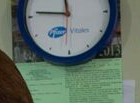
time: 11:46
